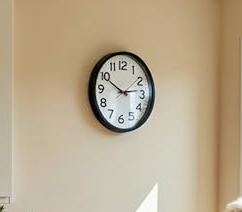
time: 2:49
